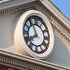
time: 7:55
